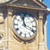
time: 11:19
